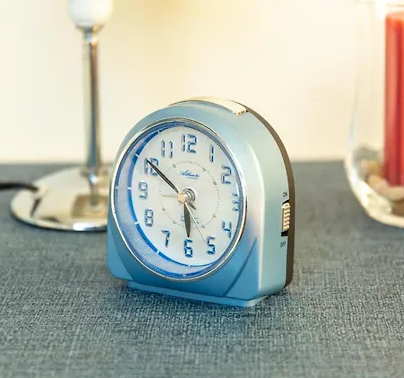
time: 5:50
